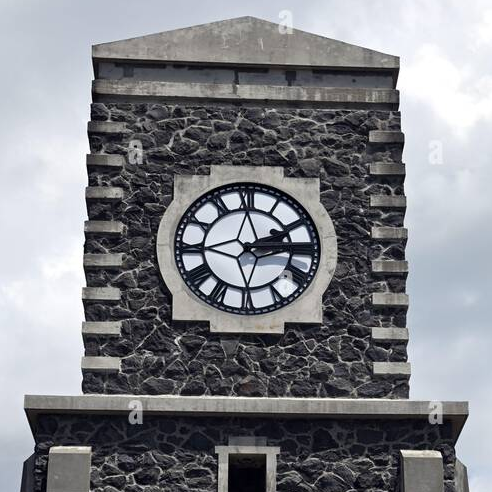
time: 2:14
